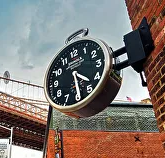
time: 4:29
